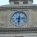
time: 6:13
